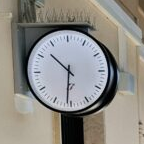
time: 10:31
